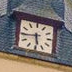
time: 5:44
